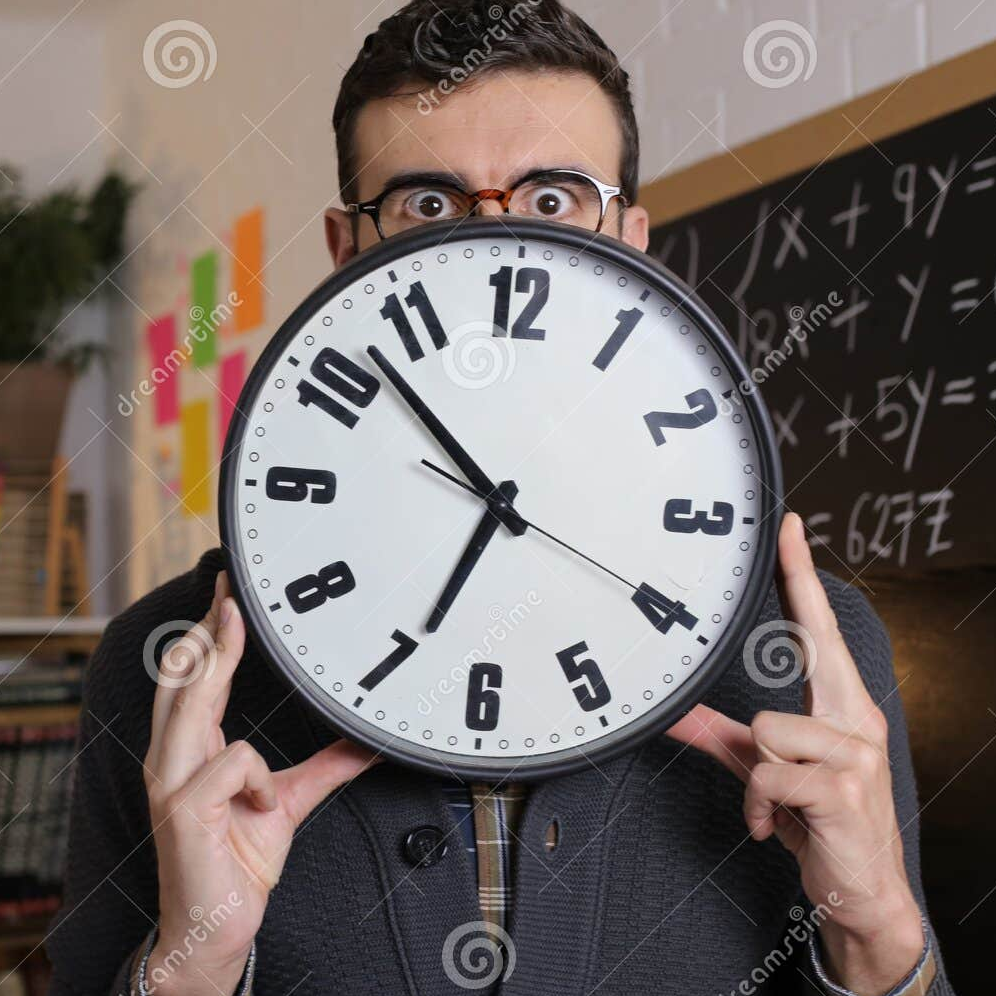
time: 6:52
